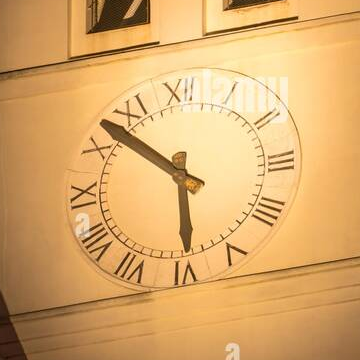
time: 5:51
